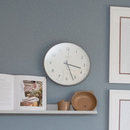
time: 3:26
